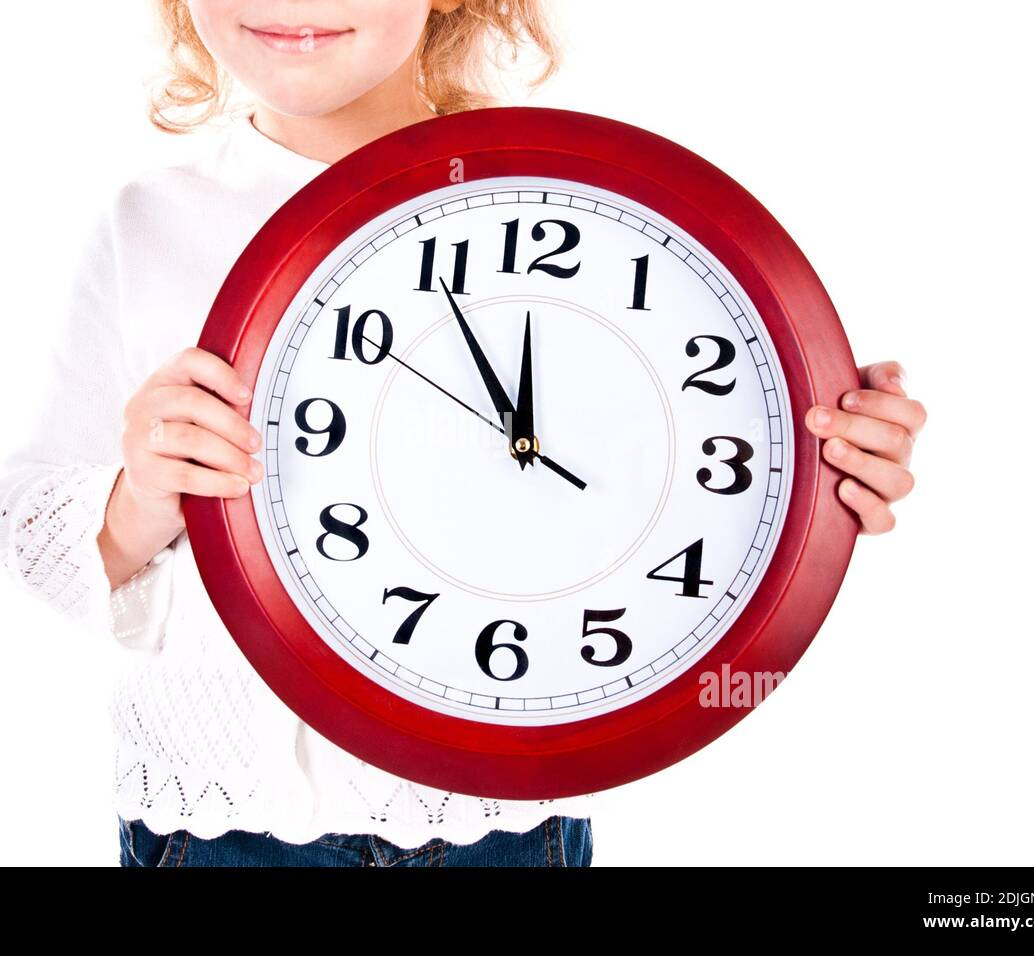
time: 11:54
